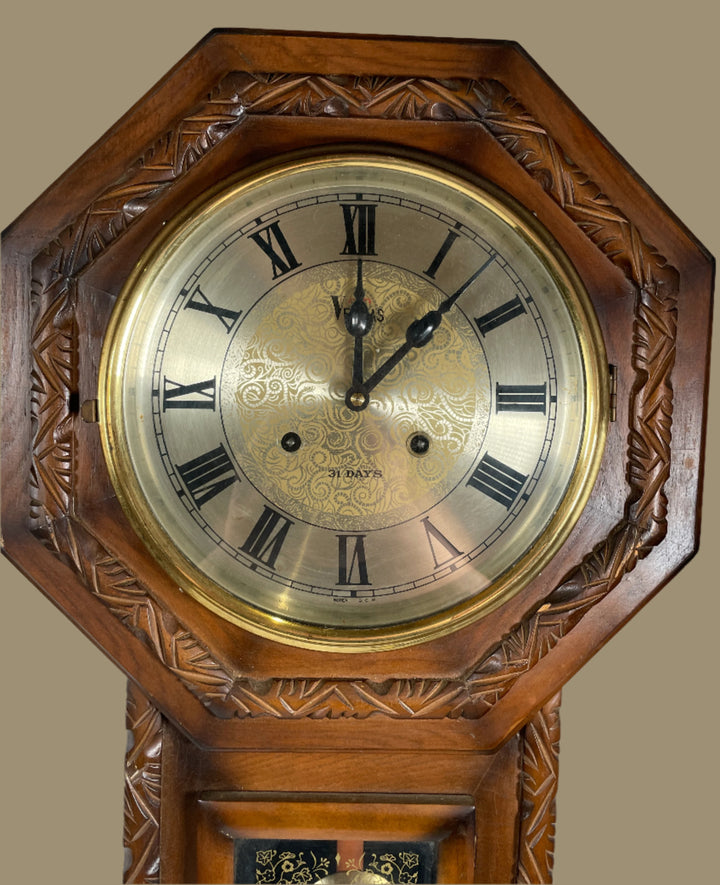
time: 12:07
